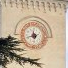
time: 11:41
